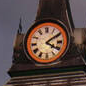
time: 4:09
